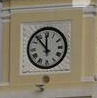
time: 11:53
